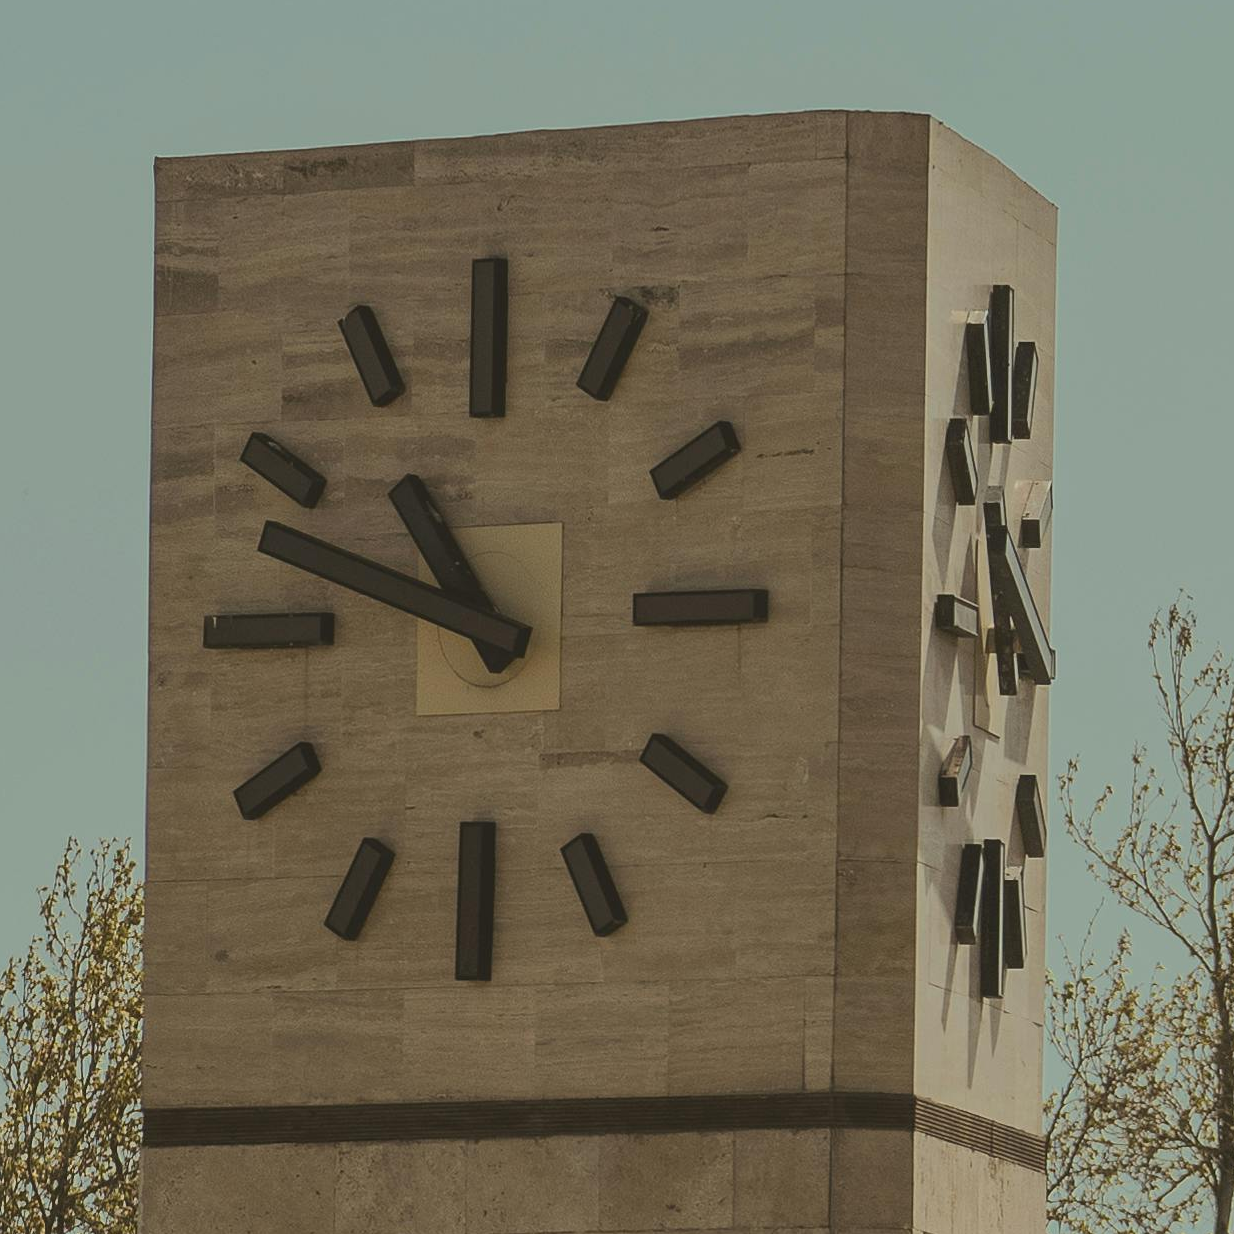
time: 10:48
